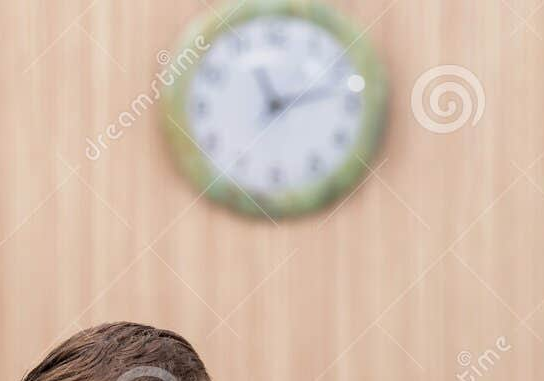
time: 11:12
